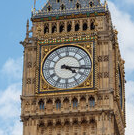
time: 4:16
